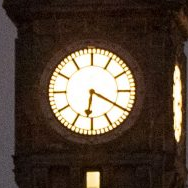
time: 6:19
